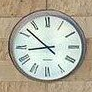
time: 8:52
